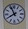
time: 7:55
